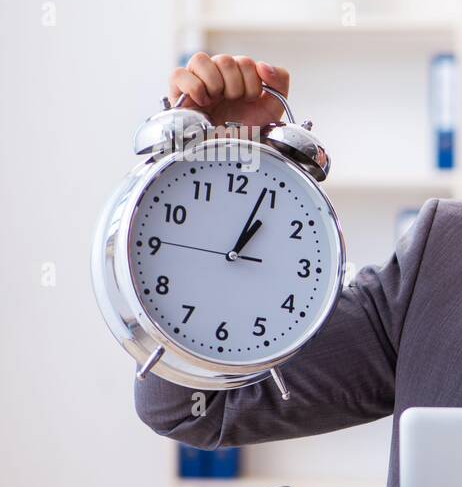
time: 1:03
